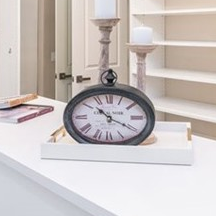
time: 10:20
